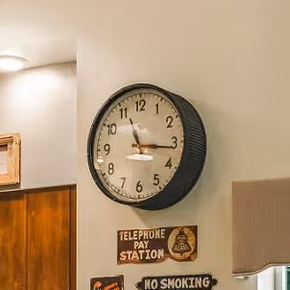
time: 11:16
